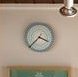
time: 3:37
